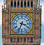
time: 3:33
